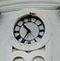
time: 10:35
